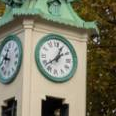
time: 12:38
